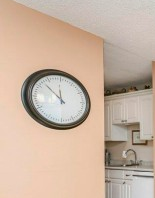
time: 11:52
